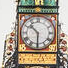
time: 10:30
